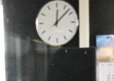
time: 12:07
